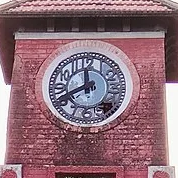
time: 11:41
